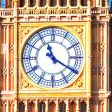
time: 11:20
